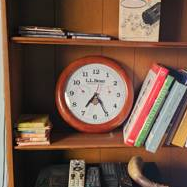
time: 7:24
